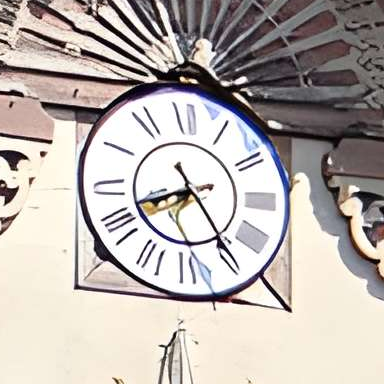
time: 8:24
